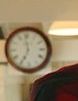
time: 6:58
